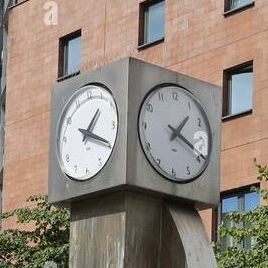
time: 1:18
